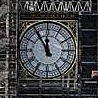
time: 11:54
